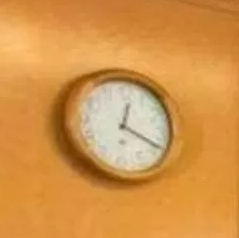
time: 12:18
